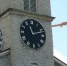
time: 11:12
